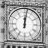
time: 12:01
